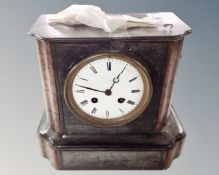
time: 12:47
